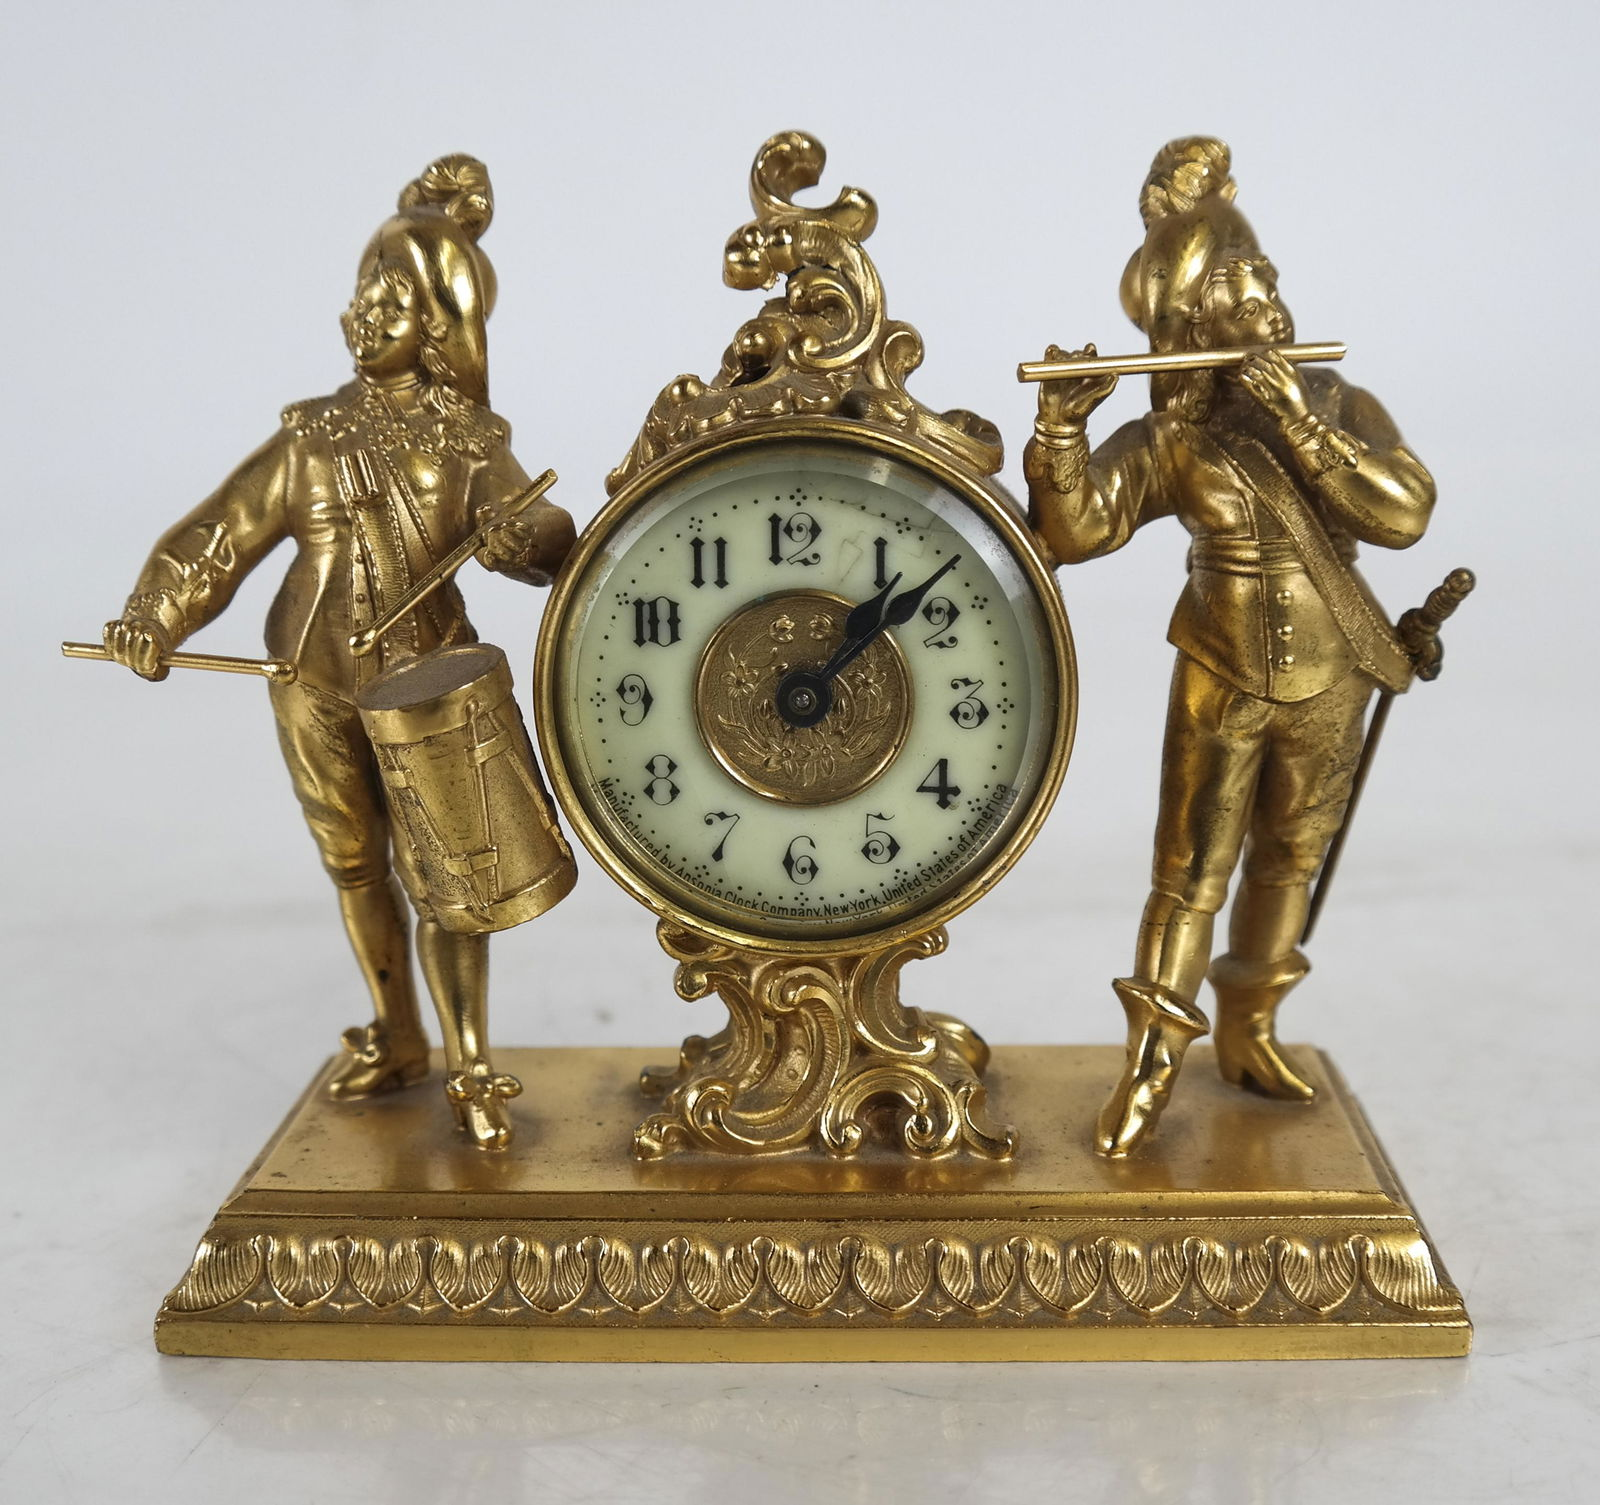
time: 1:08
